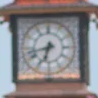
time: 6:42
